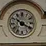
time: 10:19
